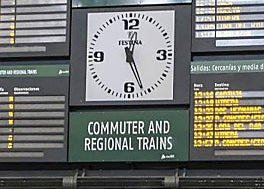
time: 12:26
